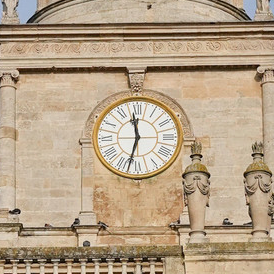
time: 11:32
